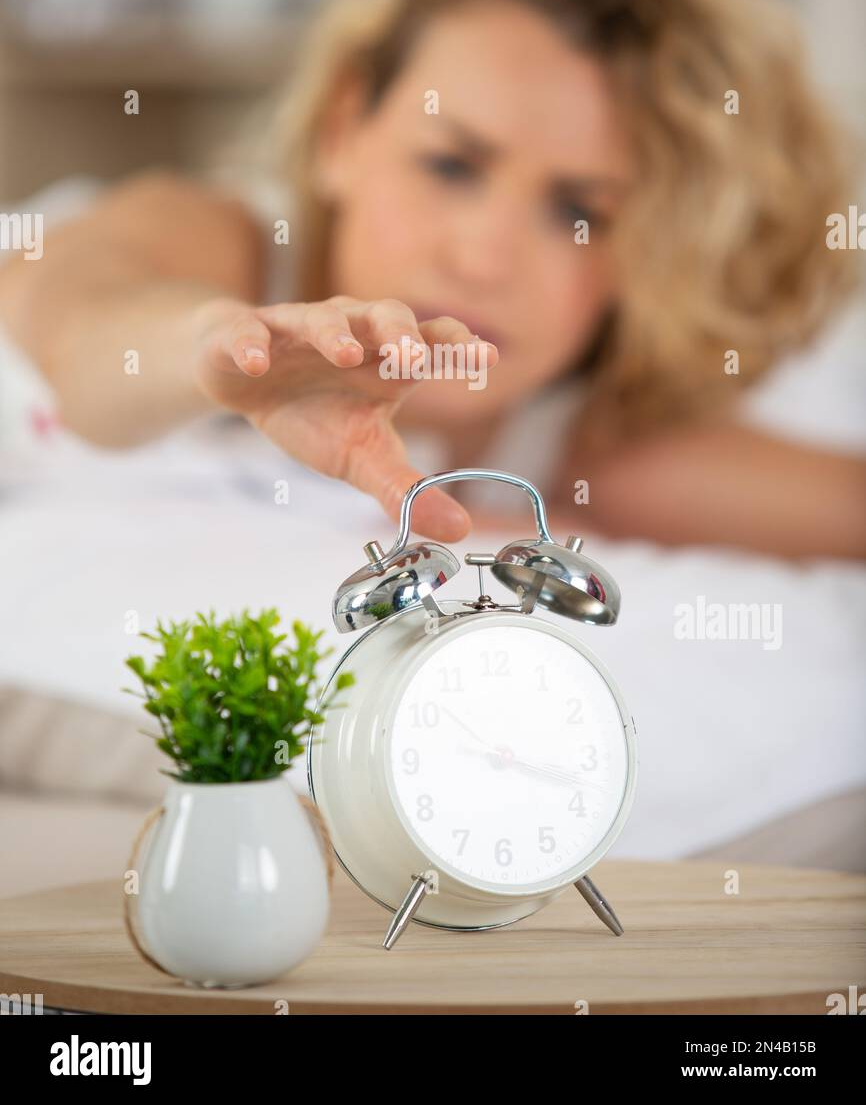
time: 3:17
